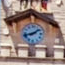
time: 1:42
